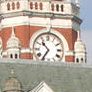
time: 10:35
